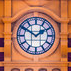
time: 1:50
